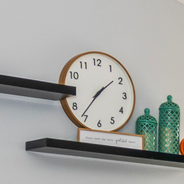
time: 1:36
